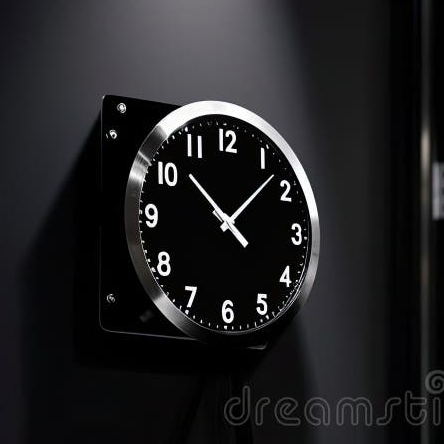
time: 10:07
